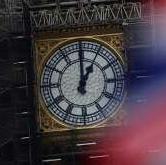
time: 1:00
